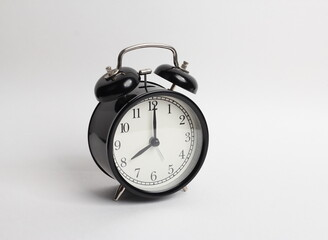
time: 8:00
